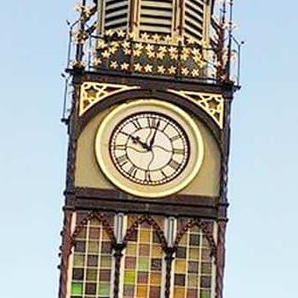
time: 10:02
